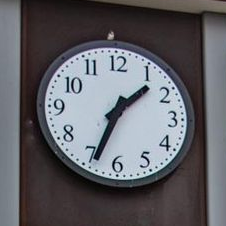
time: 1:33
